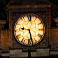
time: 9:28
